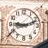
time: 9:12
